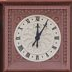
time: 12:05
